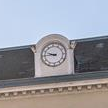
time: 9:45
